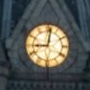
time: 9:01
